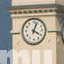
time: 4:03
